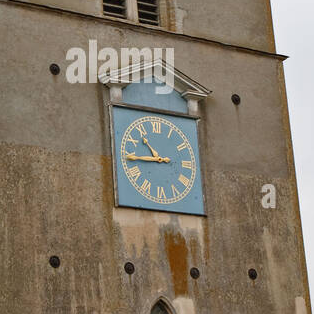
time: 10:44
